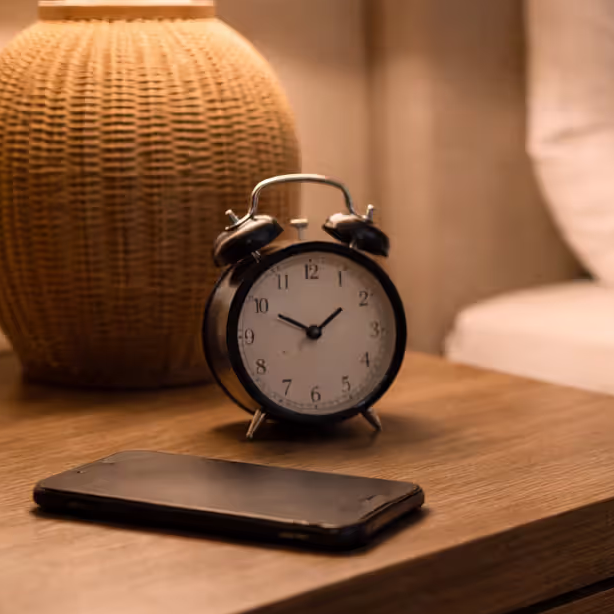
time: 1:49
